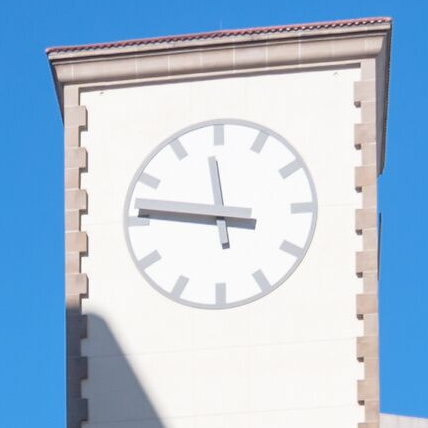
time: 11:46
